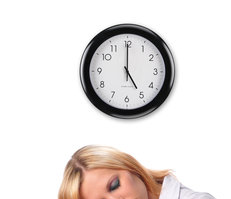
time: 4:59
